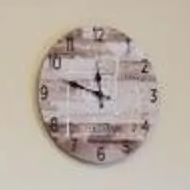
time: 11:48
